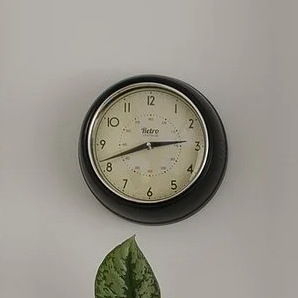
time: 2:41
